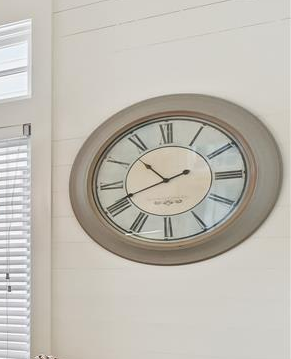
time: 10:41
